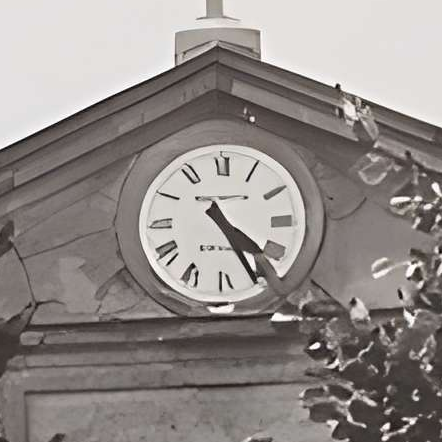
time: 4:25
